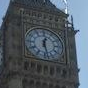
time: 12:27
